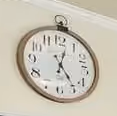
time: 12:23
